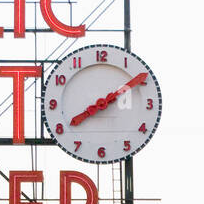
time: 8:09
